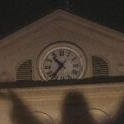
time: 10:36
